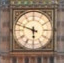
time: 5:48
